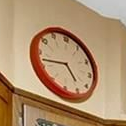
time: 4:42
